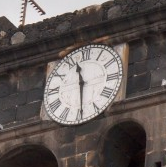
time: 11:29
